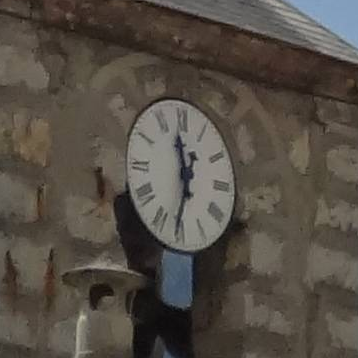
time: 11:32
